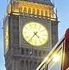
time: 4:36
